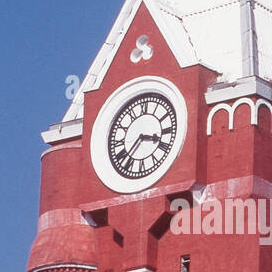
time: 3:37
